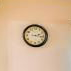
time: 2:16
